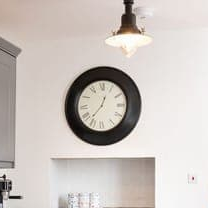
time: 12:36
